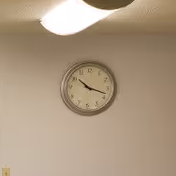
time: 10:17
